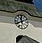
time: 11:40
